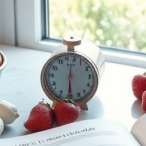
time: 6:00
